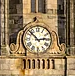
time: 2:52
